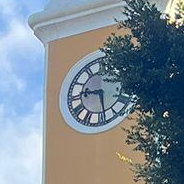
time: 9:28
